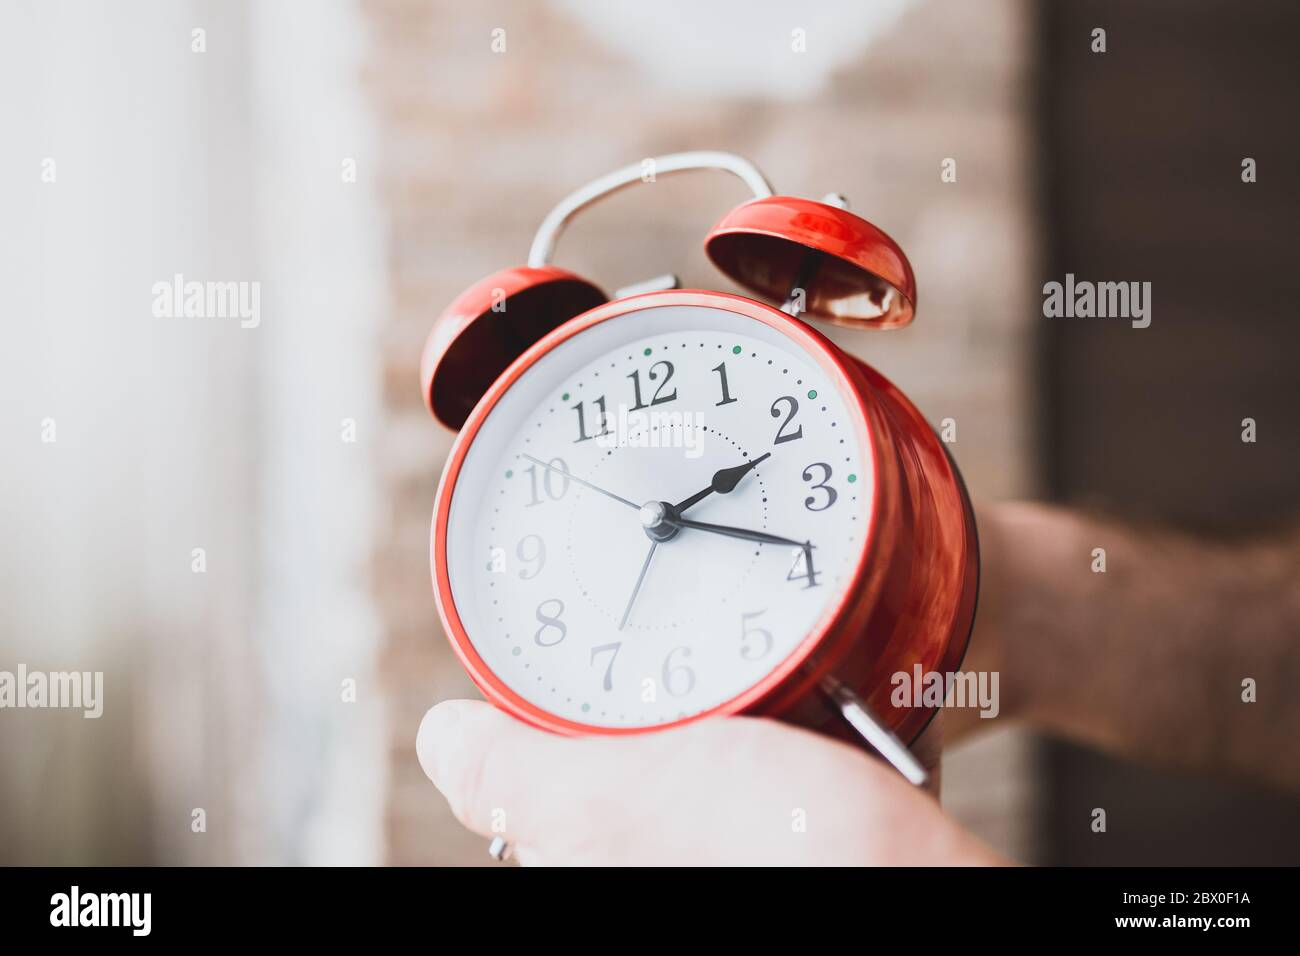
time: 2:18
